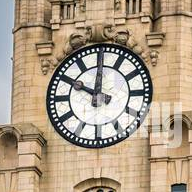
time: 10:00
